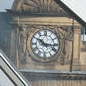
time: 10:16
